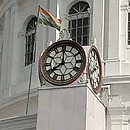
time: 7:59
